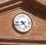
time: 4:43
